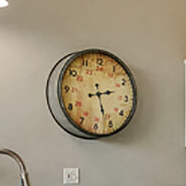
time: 2:26
